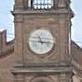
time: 11:16
